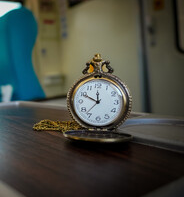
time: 11:49
